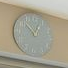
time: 12:52
